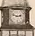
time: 2:48
